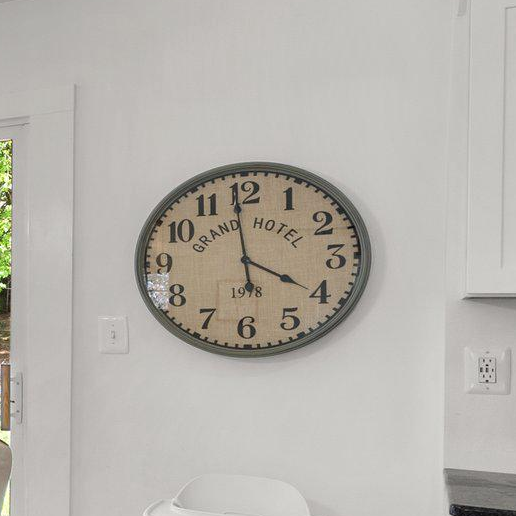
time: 3:58
